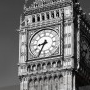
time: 8:34
